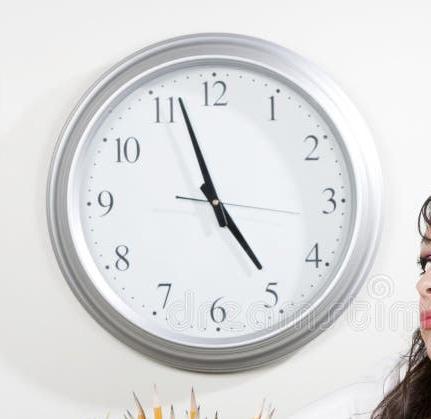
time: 4:56
